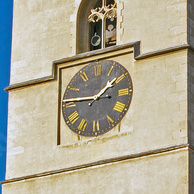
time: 1:46
